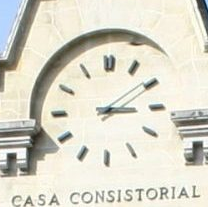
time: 3:09
